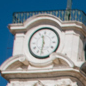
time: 11:31
